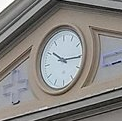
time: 10:15
